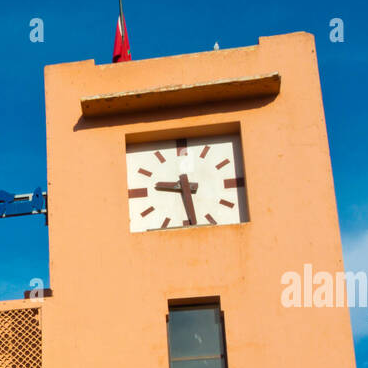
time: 9:28
